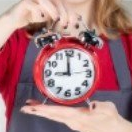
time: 8:59
